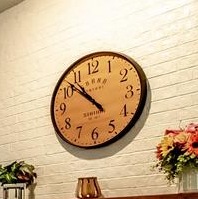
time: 10:52
